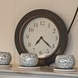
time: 7:21
